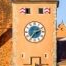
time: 2:36
